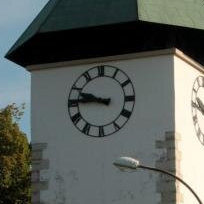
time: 9:45
